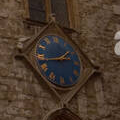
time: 1:43
